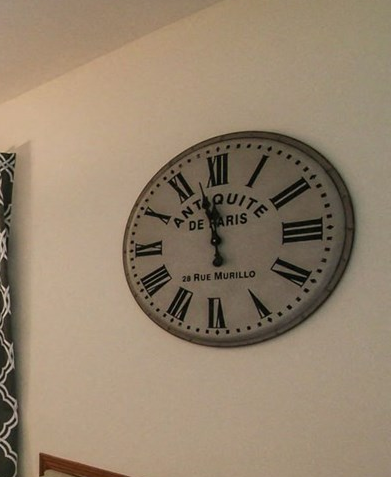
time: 11:57
